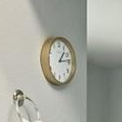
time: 1:13
